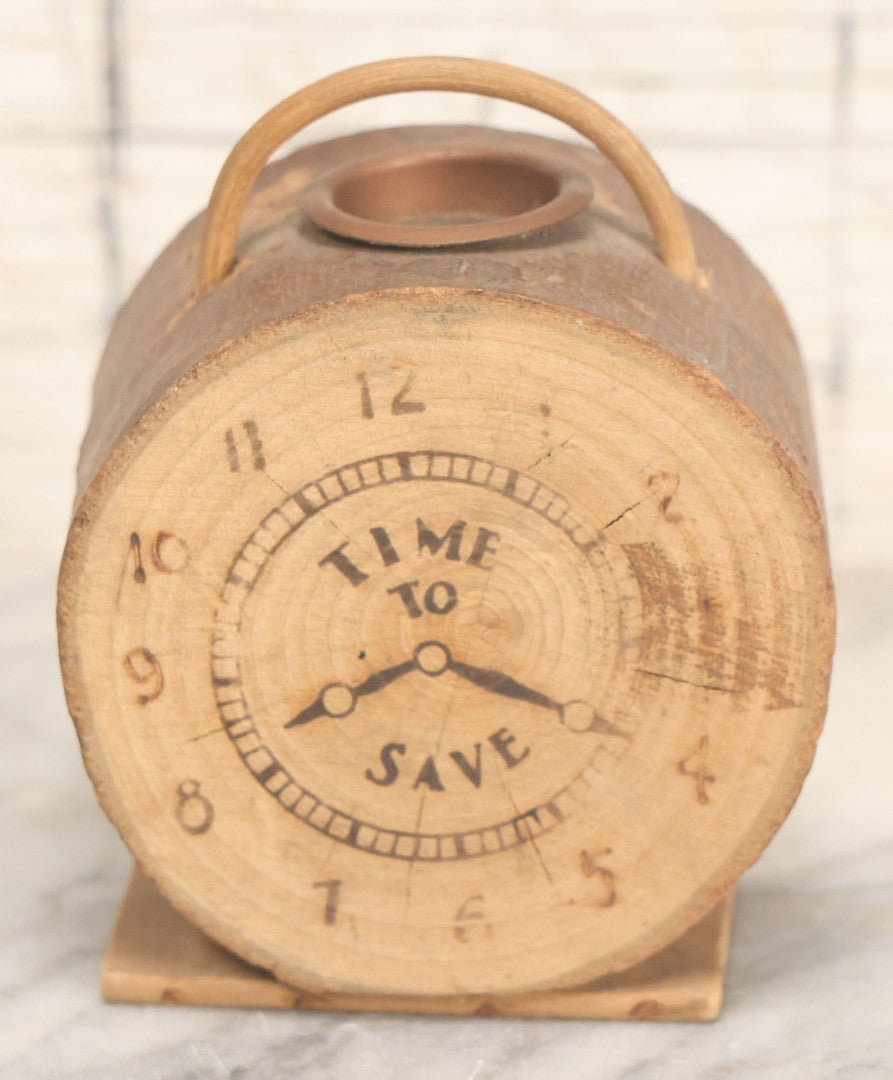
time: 8:19
